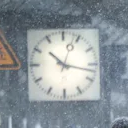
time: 10:17
